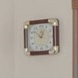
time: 12:52
